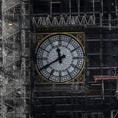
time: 11:40
